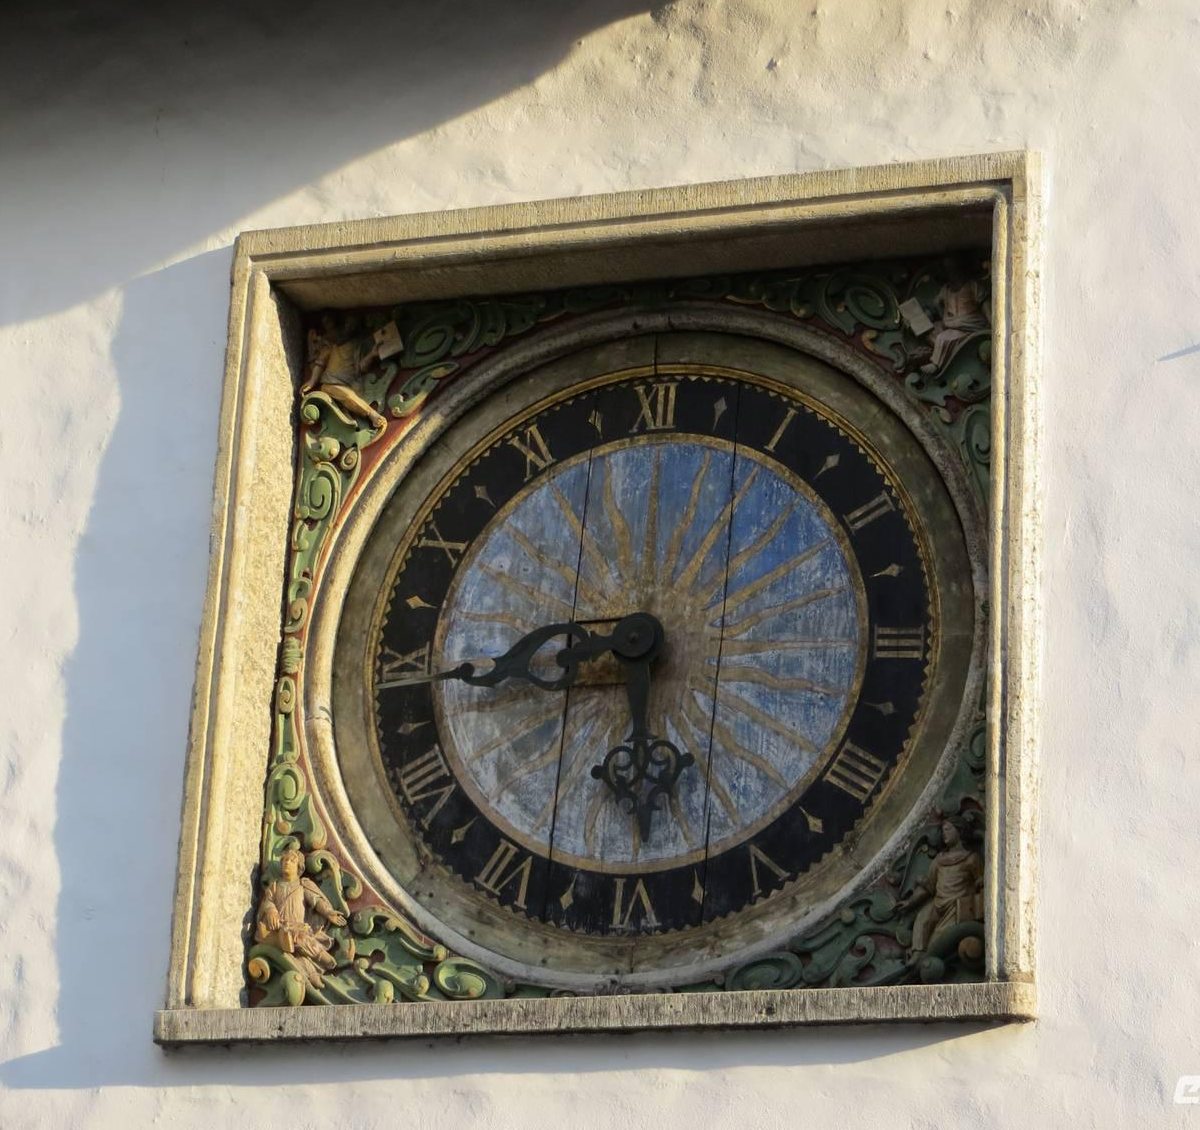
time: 5:43
